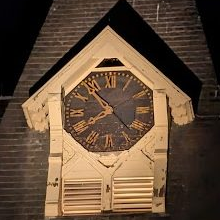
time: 7:53
